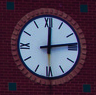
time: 12:13
